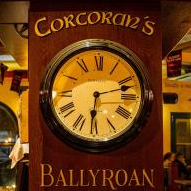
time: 6:12
